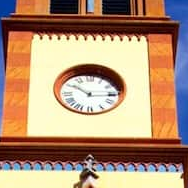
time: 10:14
